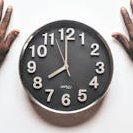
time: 7:59
